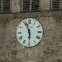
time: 5:57
